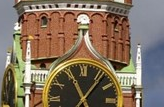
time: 11:06
